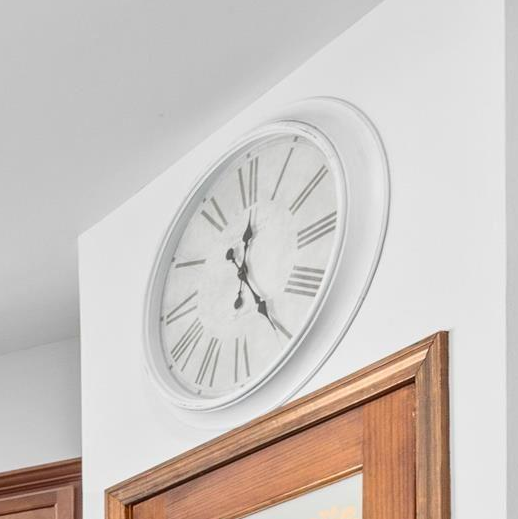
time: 12:24
